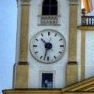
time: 10:32
